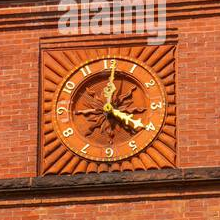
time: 4:01
